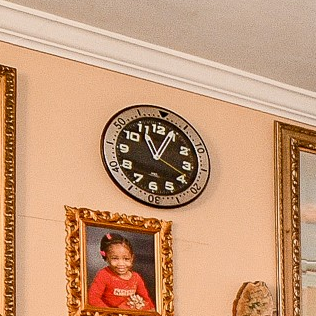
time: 11:03
